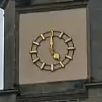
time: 4:59
